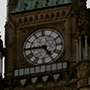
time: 4:44
